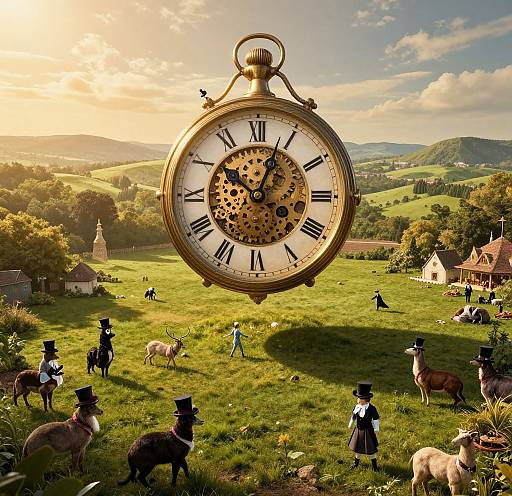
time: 10:03
